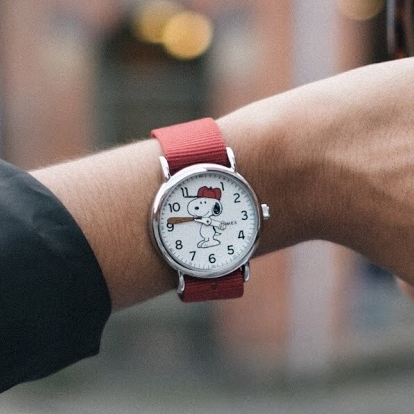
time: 12:46
